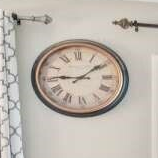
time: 9:09
